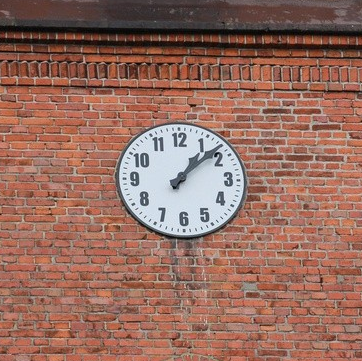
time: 1:08
